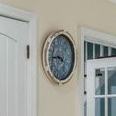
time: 3:44
